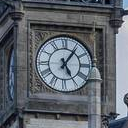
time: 5:06
